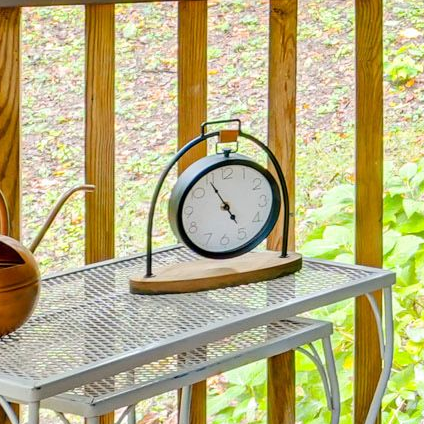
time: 4:54
